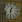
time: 12:30
